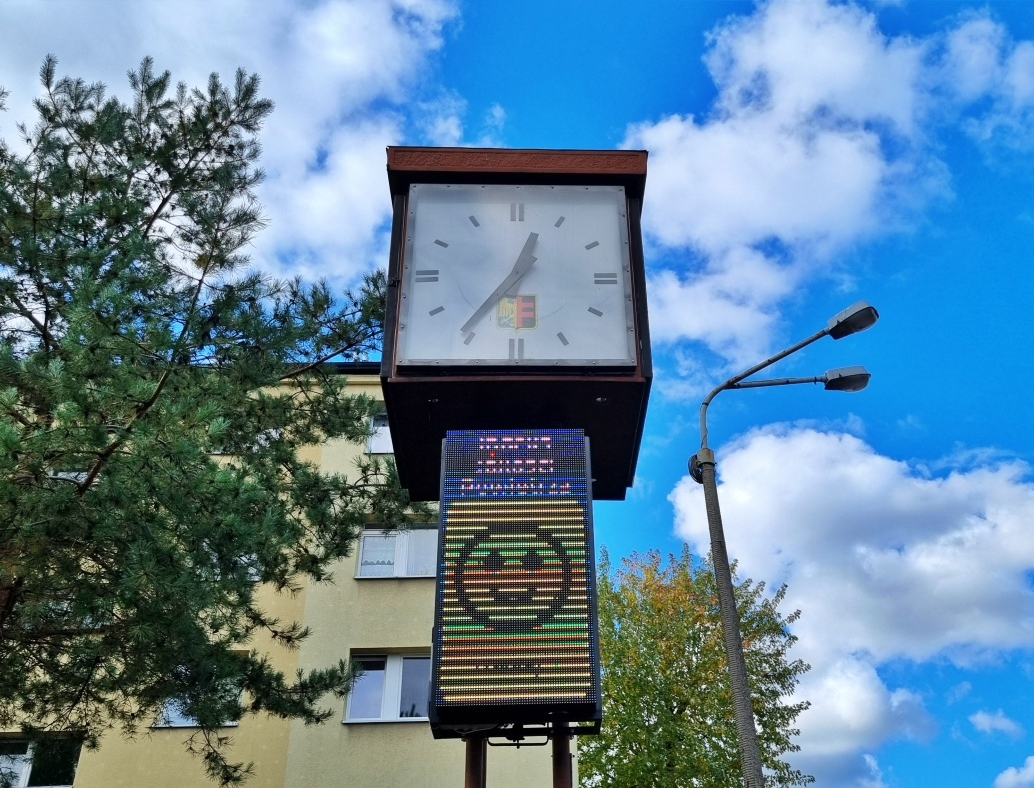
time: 12:36
